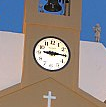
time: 9:14
